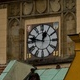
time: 12:47
